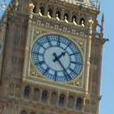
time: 1:23
